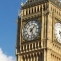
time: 1:26
